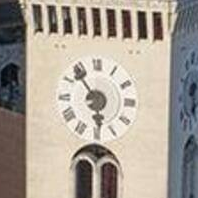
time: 5:53
